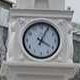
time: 4:04
